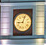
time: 9:03
